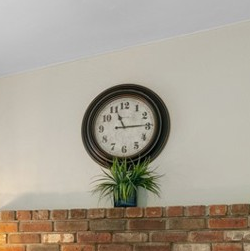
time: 11:14
